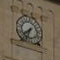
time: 7:33
